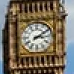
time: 3:09
